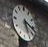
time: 5:18
